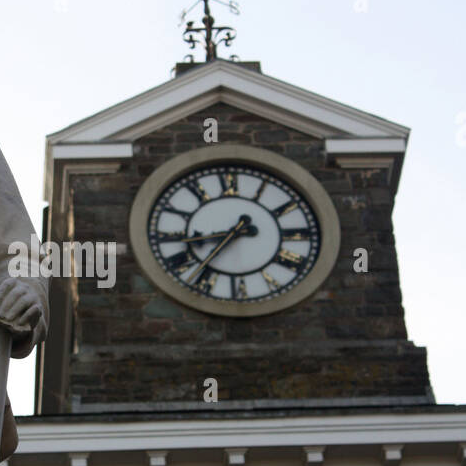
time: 8:36
